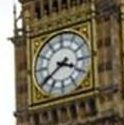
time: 3:39
